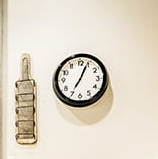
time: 7:04
